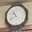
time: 10:41
